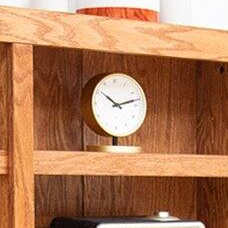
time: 10:12
